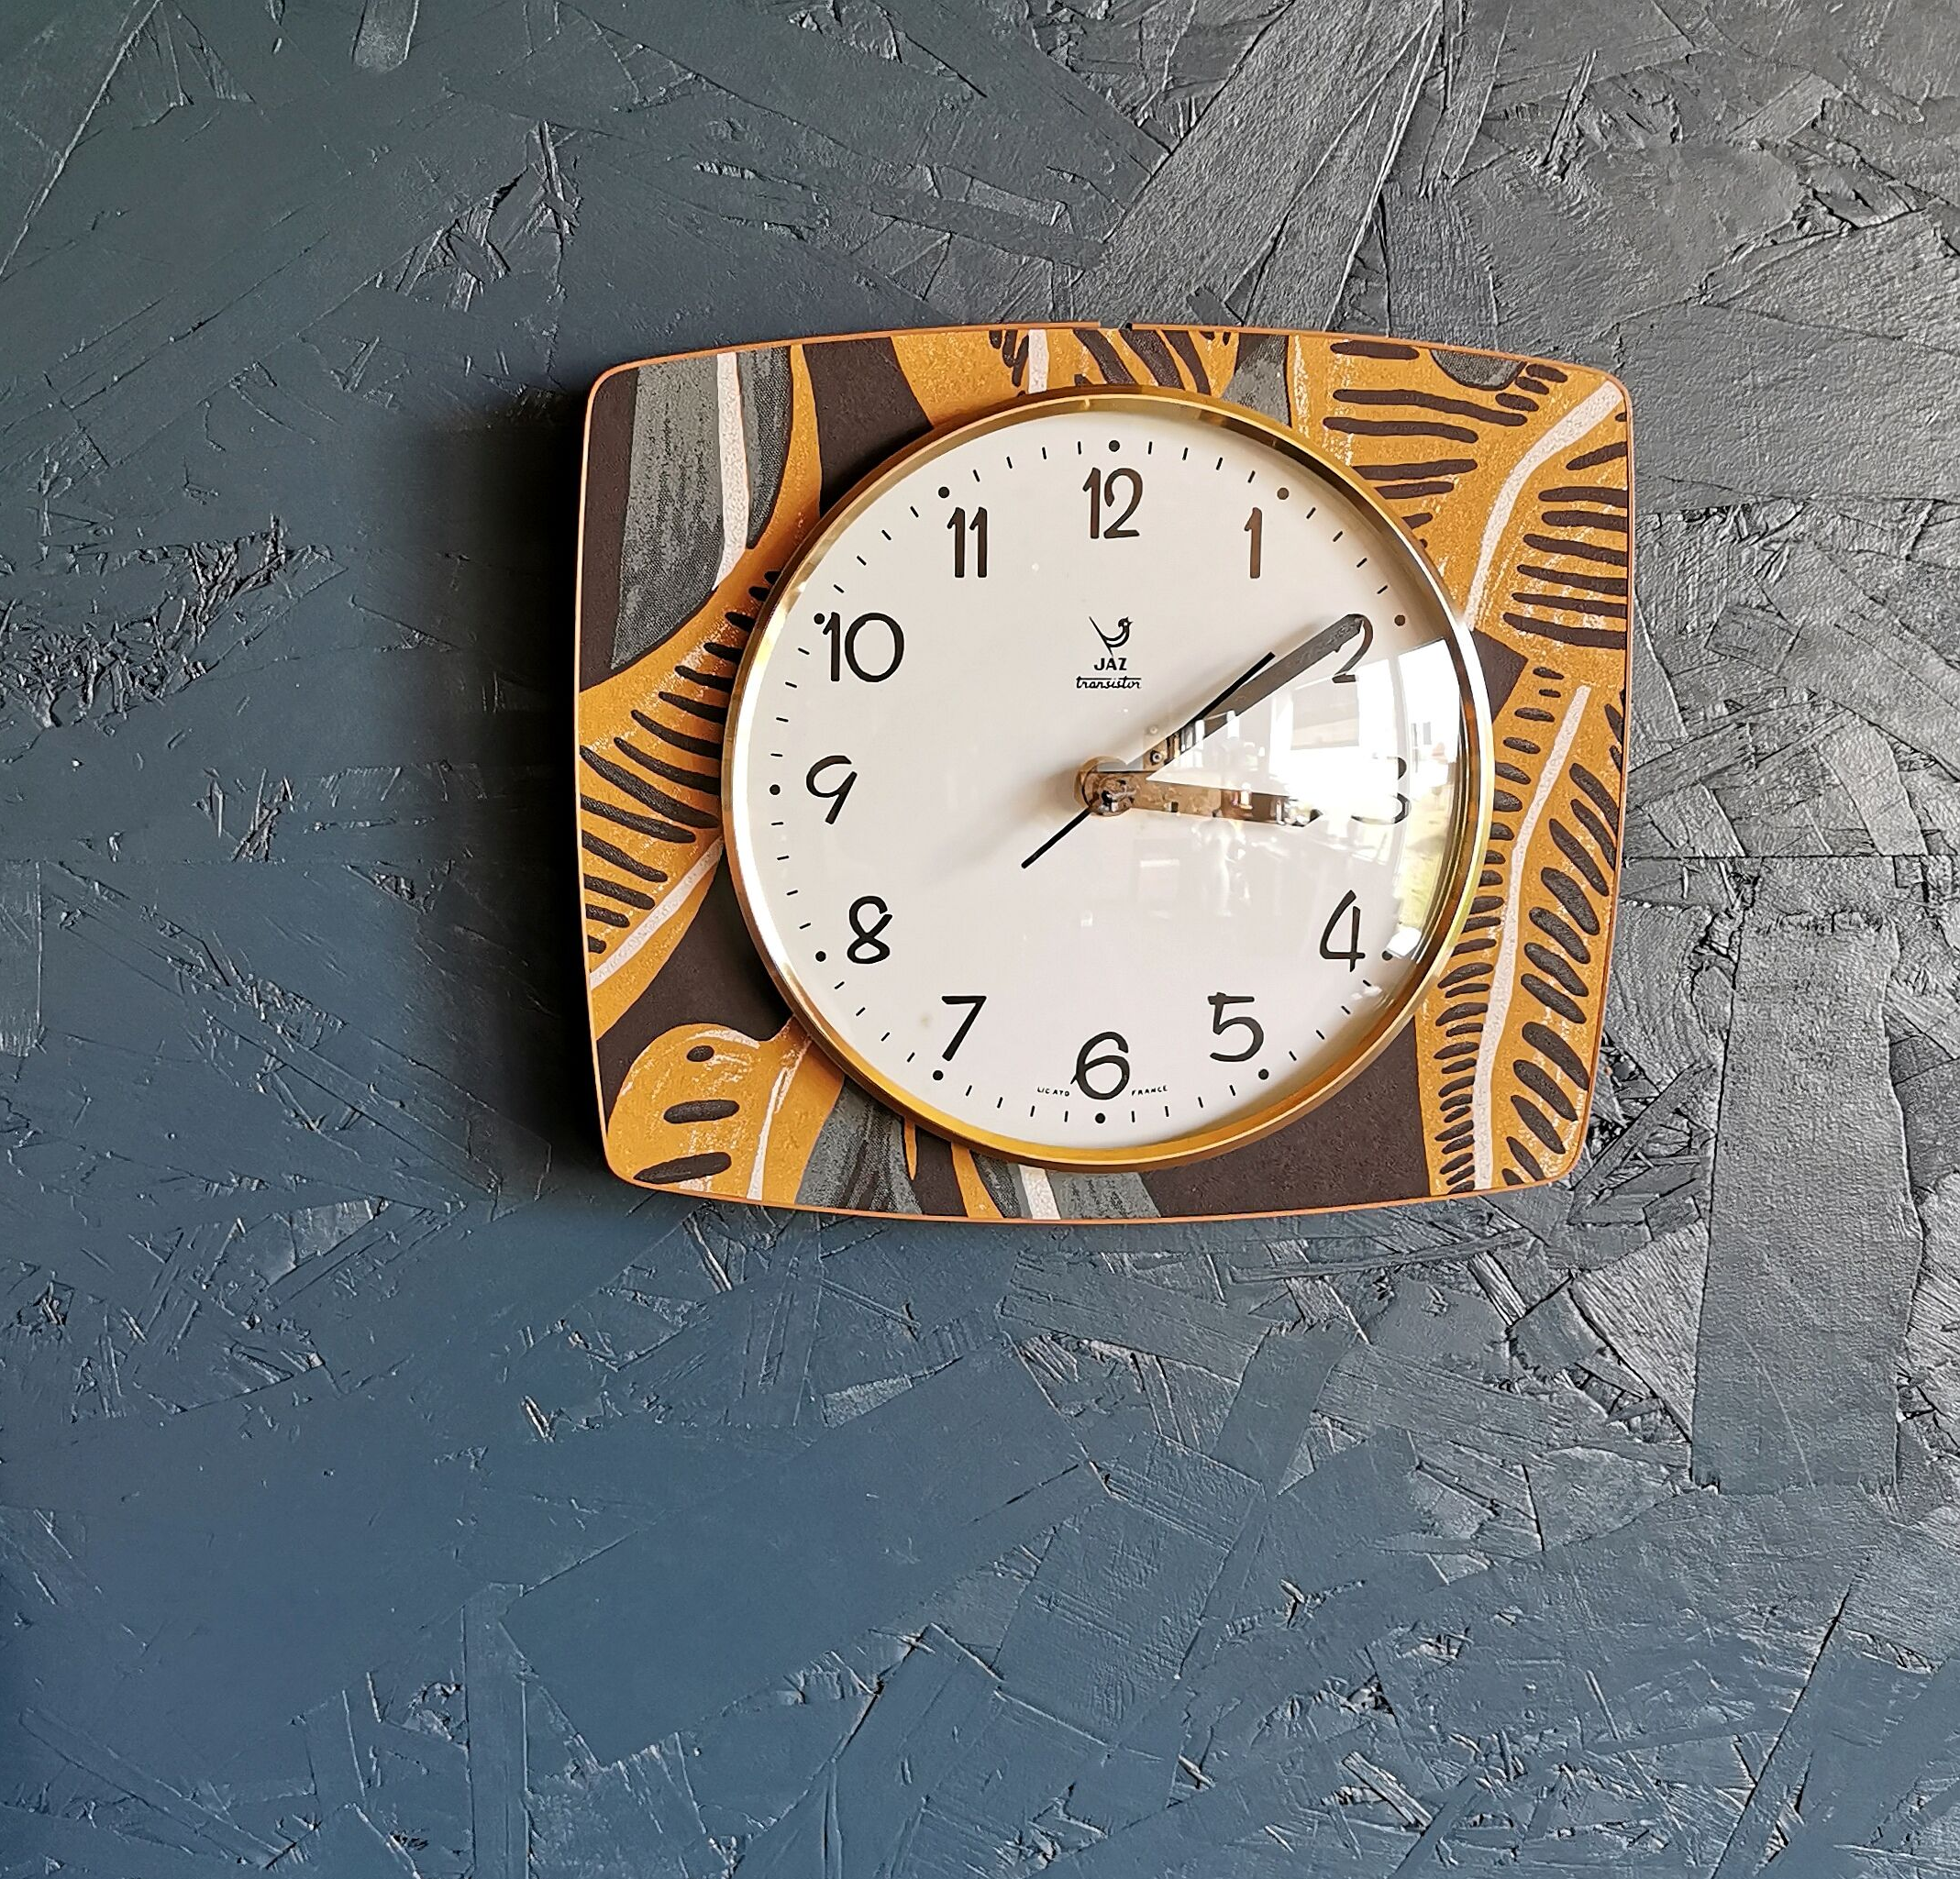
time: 3:09
